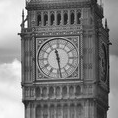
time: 11:28
